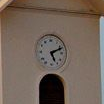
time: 5:11
